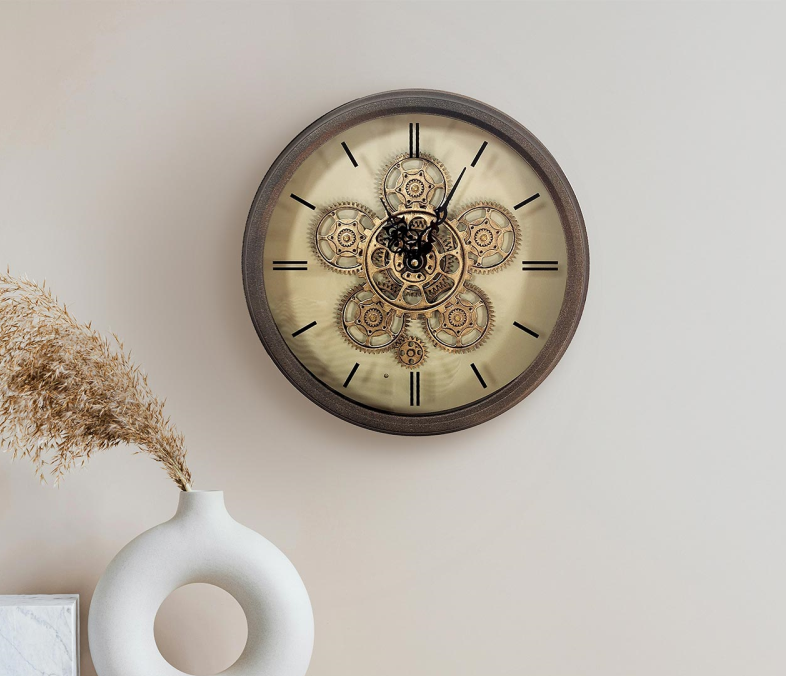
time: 11:04
